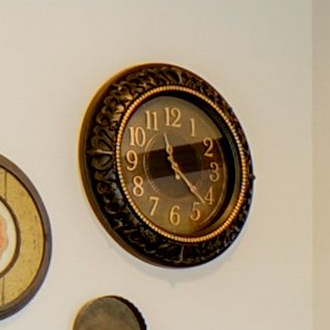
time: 11:22
